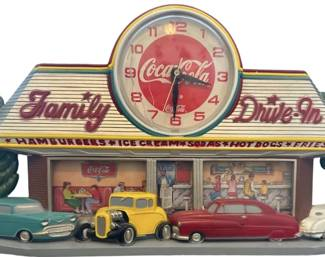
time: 3:30
